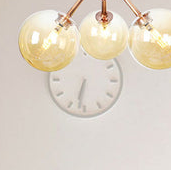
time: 6:32
